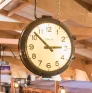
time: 2:52
